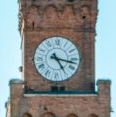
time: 3:24
